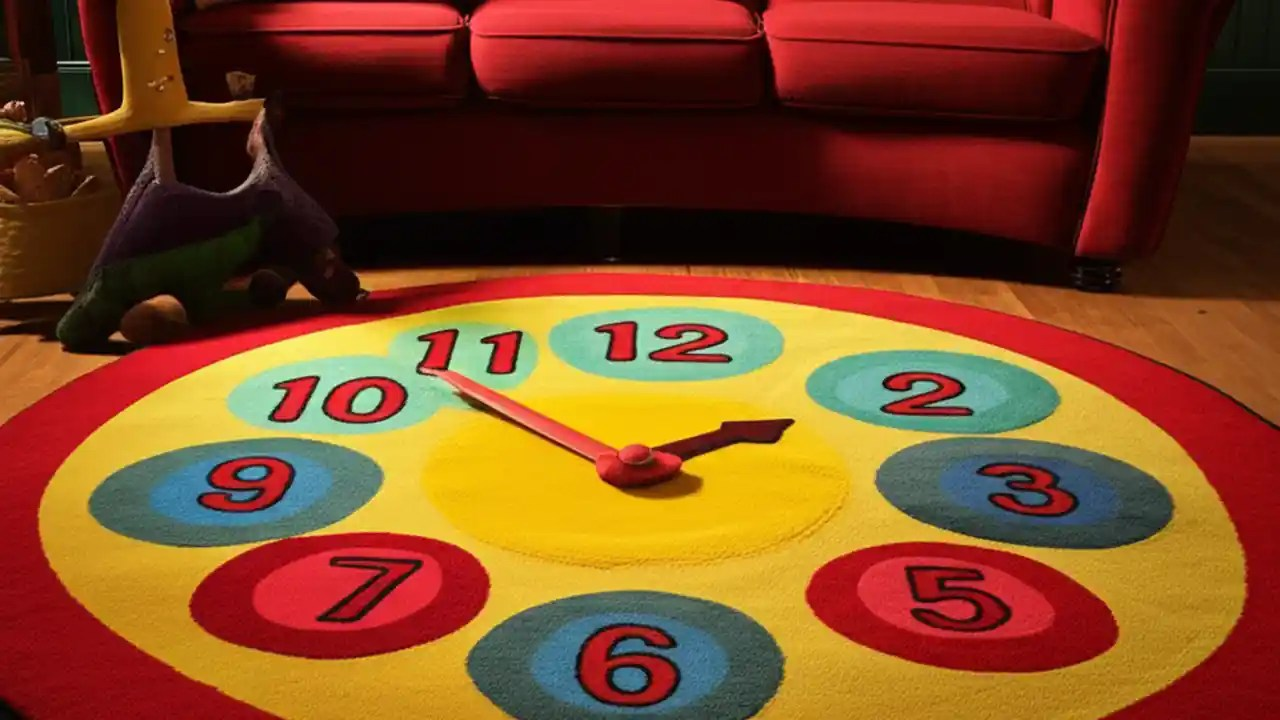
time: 1:53
